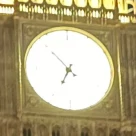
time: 6:53
